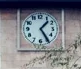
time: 1:24
